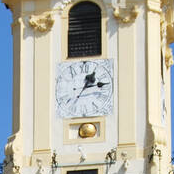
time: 1:13
